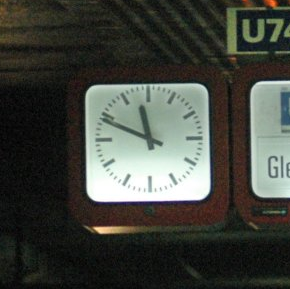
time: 11:48
